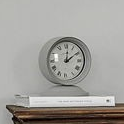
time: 12:09
